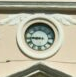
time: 8:45
